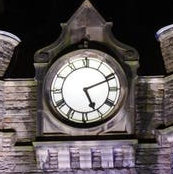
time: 5:11
